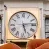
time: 5:13
